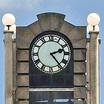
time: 2:23
